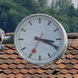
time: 3:19
